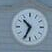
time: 10:34
